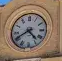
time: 4:40
